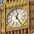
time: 12:24
